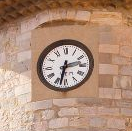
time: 2:32
